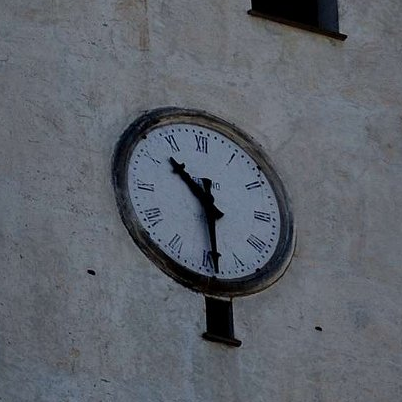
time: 10:29
